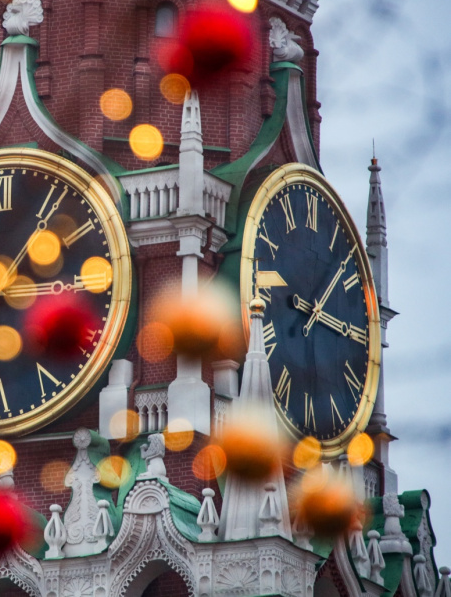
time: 9:15
